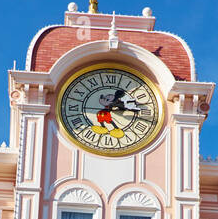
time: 1:16
